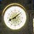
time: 8:08
